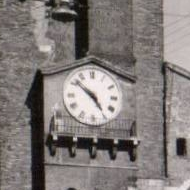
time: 4:51
